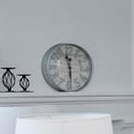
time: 11:29
